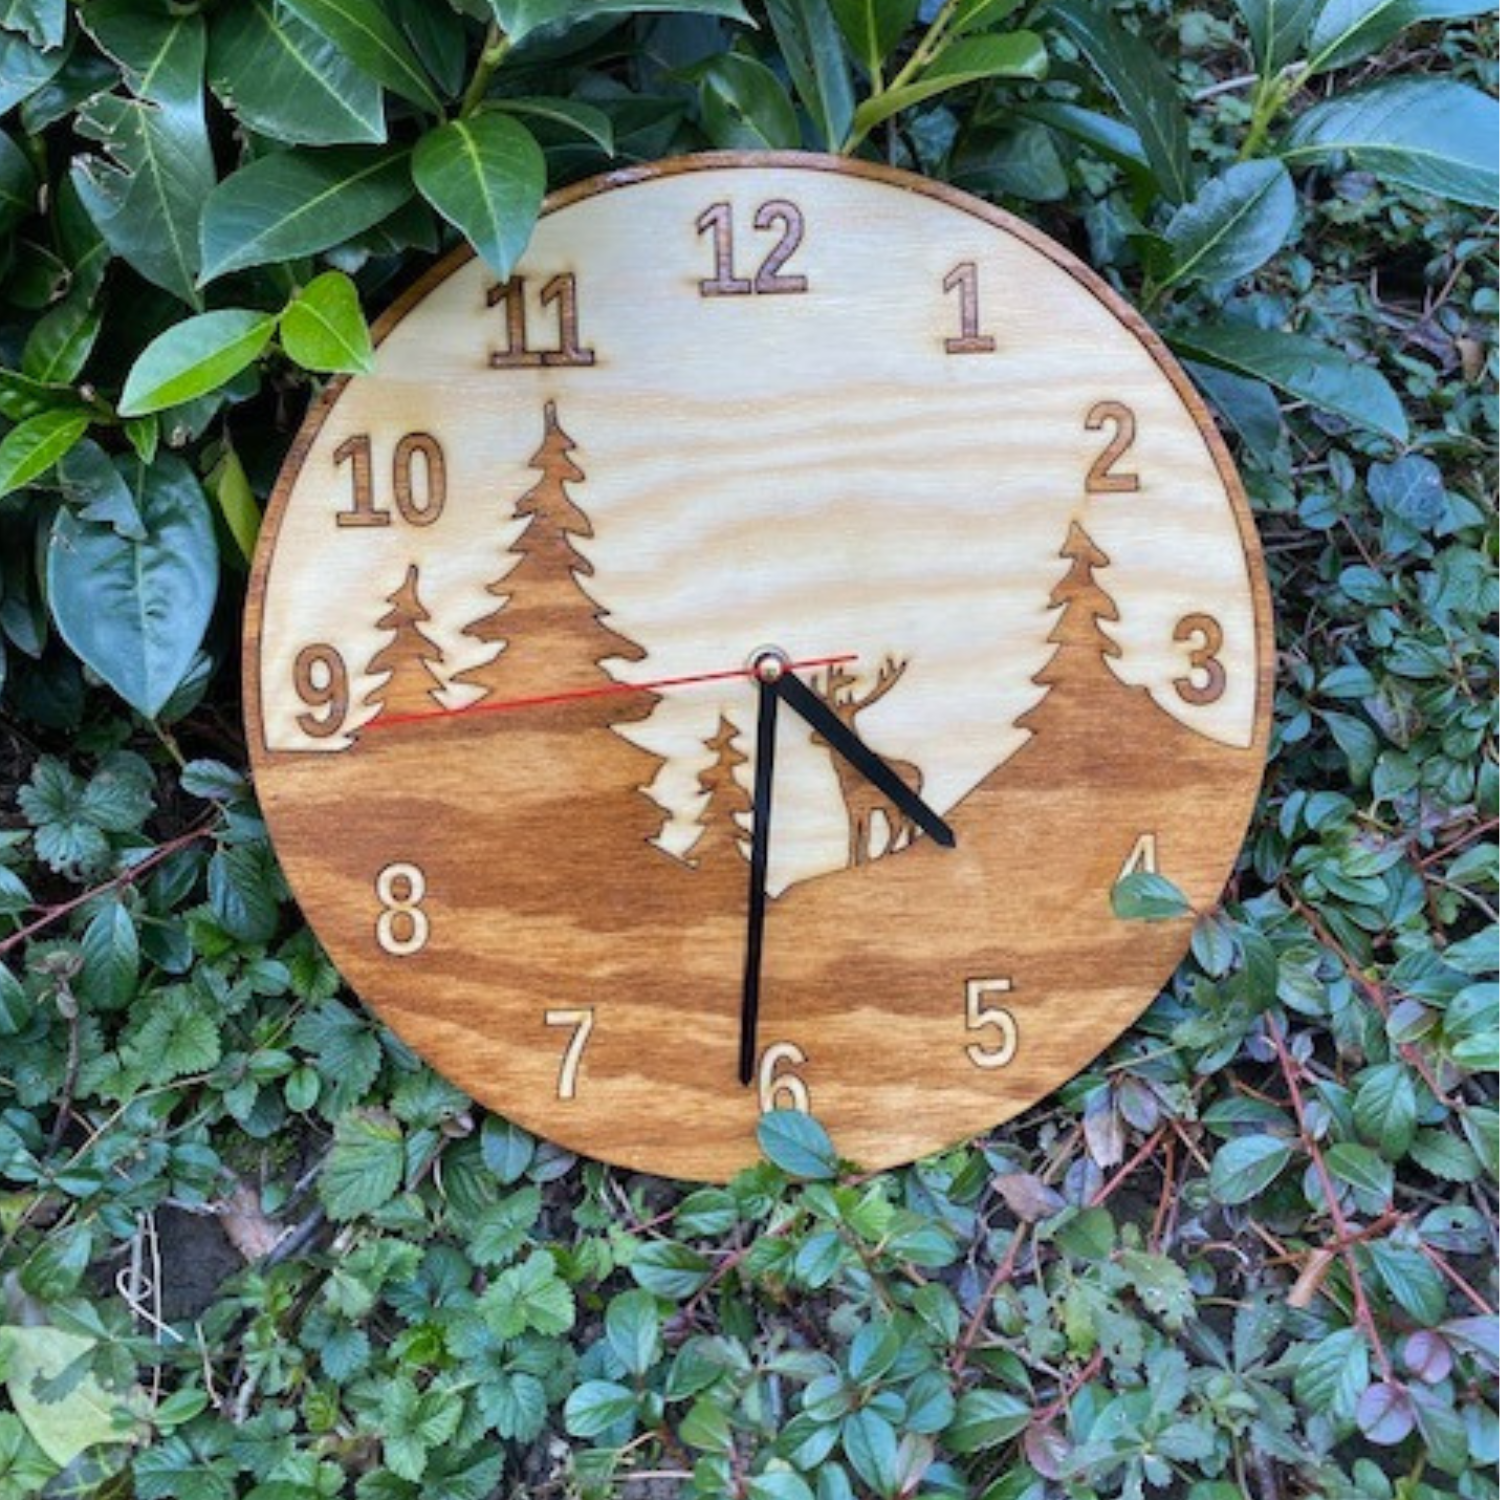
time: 4:30
